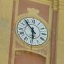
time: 5:53
